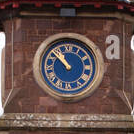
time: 10:52
